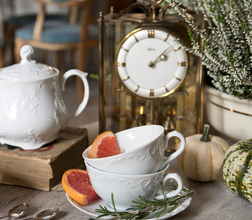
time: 2:08
